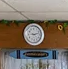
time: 9:12
